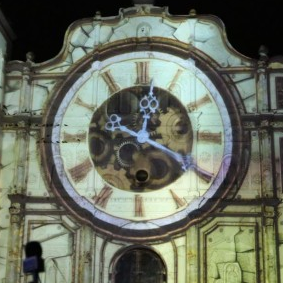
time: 12:19
